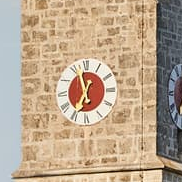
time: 6:57
